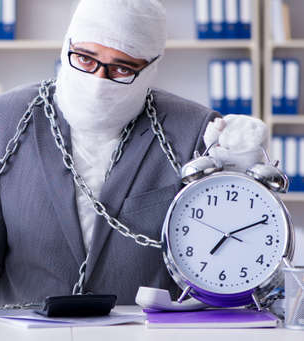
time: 7:10
